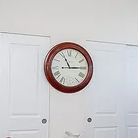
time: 11:14
